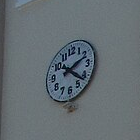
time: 2:21
